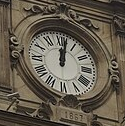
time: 12:01
